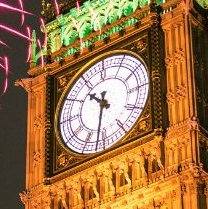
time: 10:32
